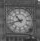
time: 10:42
